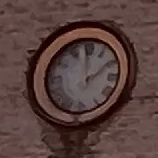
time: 1:59
